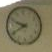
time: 9:40
